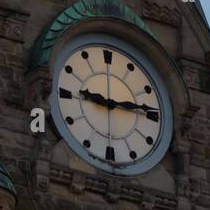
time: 9:14
